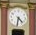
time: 4:31
